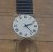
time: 2:22
